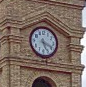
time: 5:18
